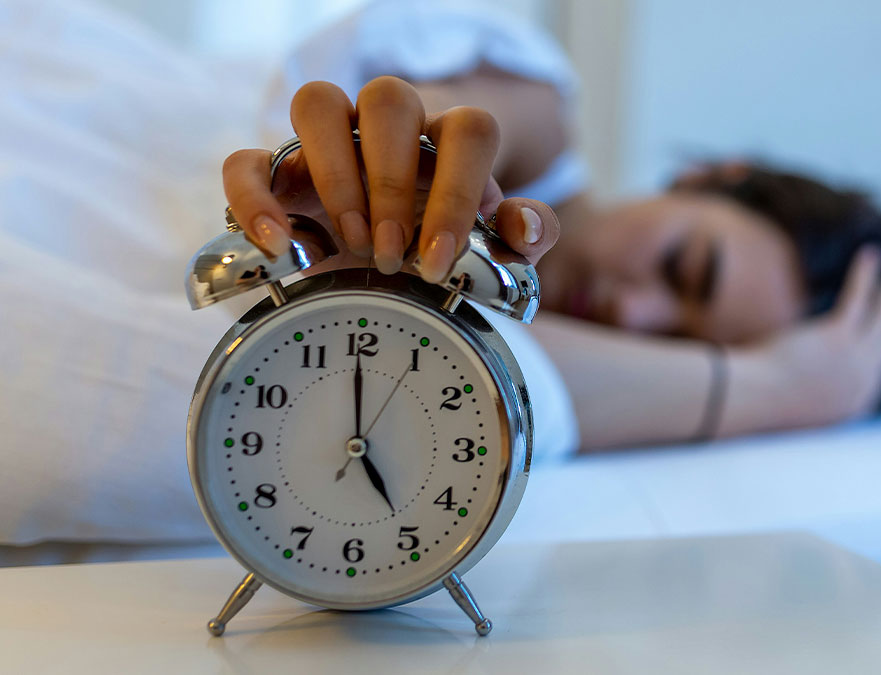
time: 4:59
